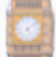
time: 5:09
